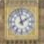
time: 1:57
